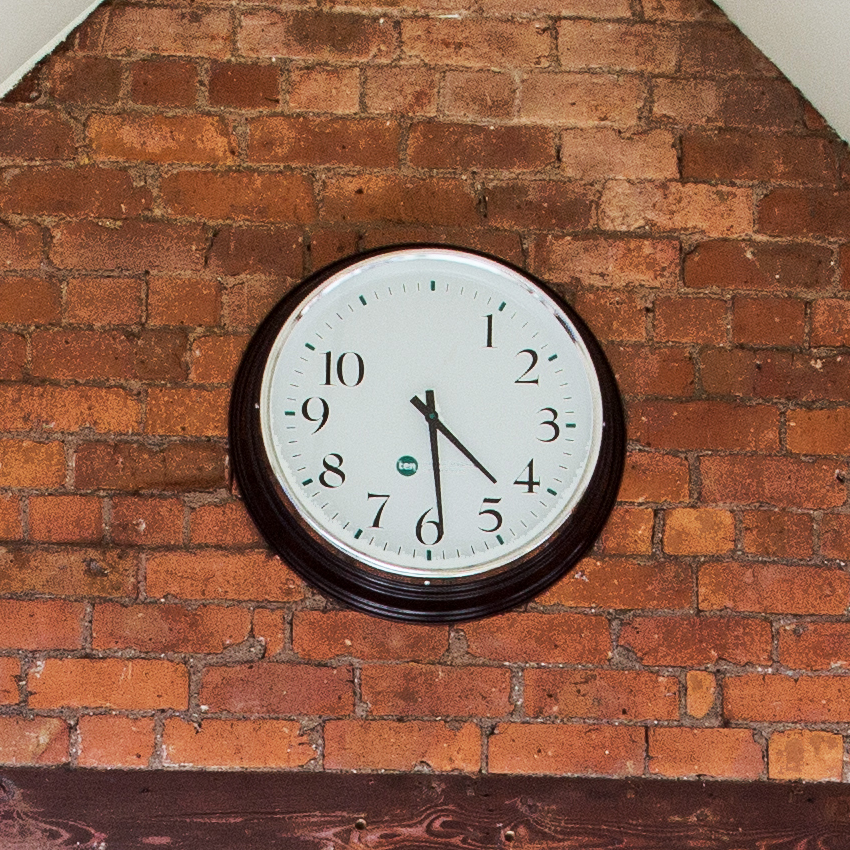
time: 4:29
